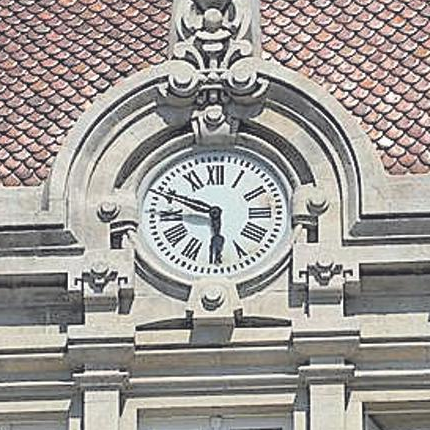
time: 5:48
